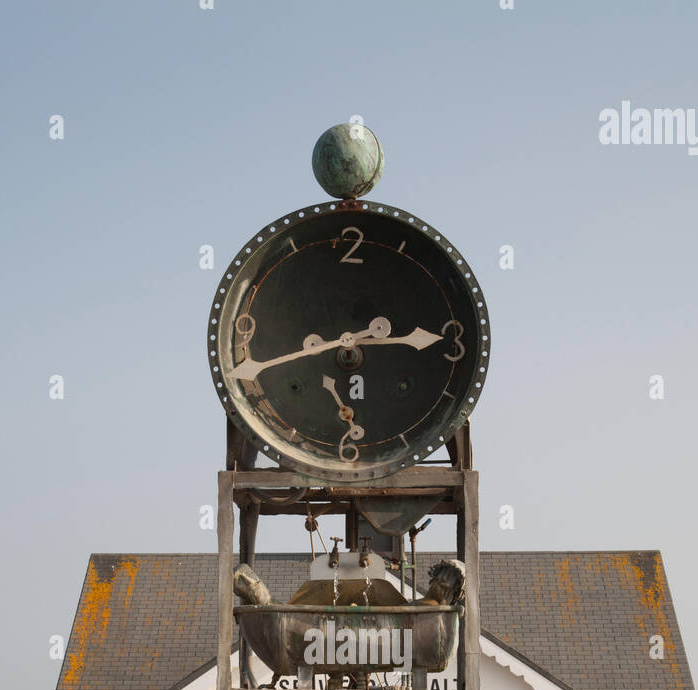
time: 2:41
